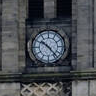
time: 10:23
